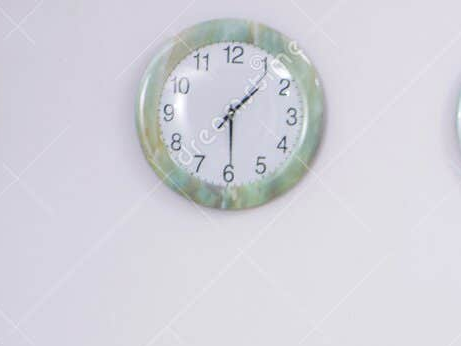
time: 1:29
